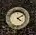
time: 4:09
